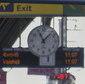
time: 11:07
